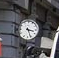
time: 3:26
